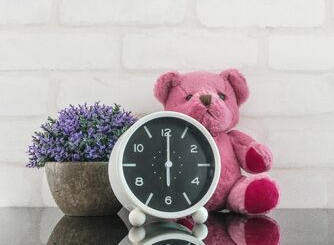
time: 6:00
